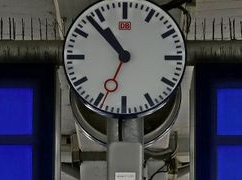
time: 10:53
